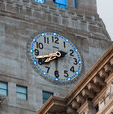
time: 7:42
